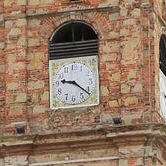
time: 9:21
